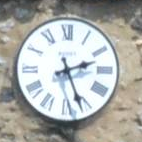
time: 2:26
